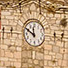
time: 11:50
